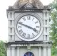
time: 3:48
